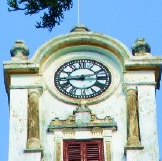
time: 2:44
